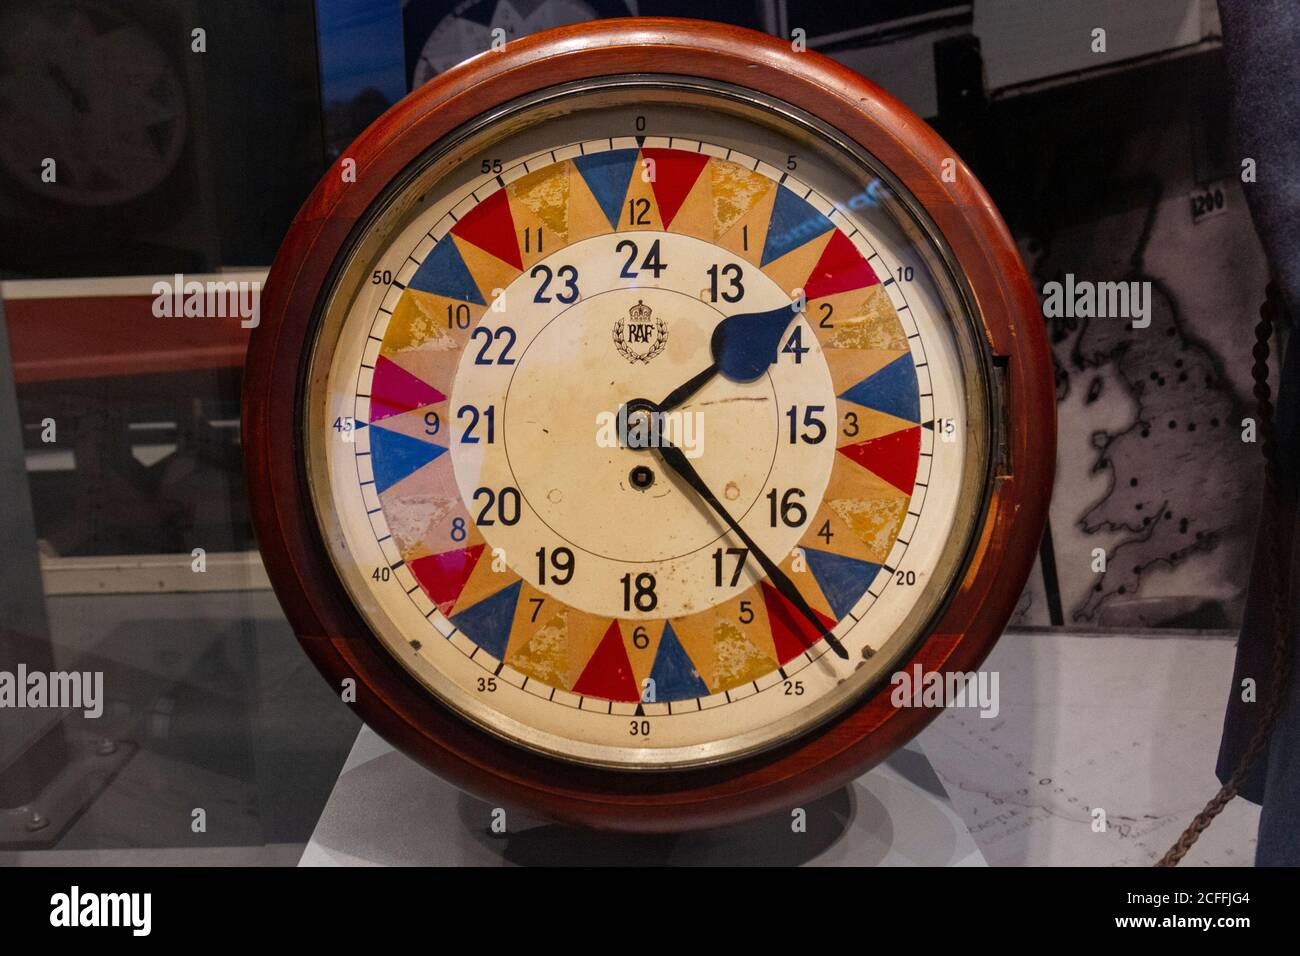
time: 1:22
